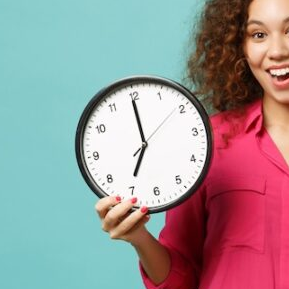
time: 6:59
